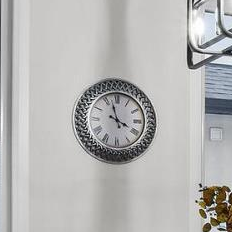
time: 3:57
